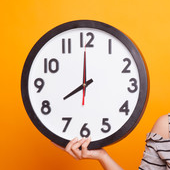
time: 7:59
